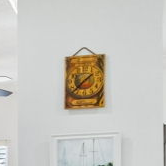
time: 1:38
